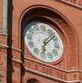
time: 6:07
